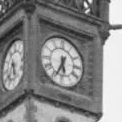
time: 5:34
